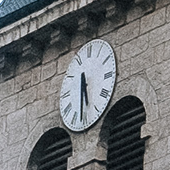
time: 5:30
